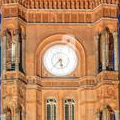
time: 5:36
